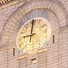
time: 9:01
